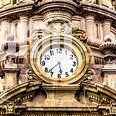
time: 5:37
